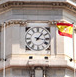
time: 1:16
